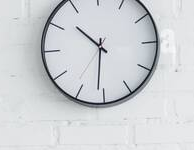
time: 10:31
